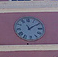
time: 11:09
